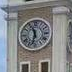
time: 11:32
